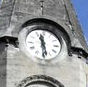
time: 11:28
